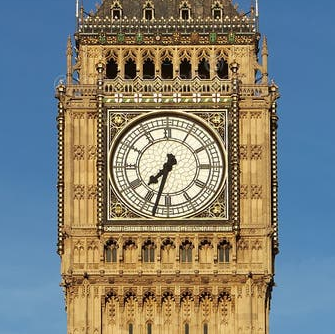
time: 7:32
